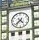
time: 4:37
